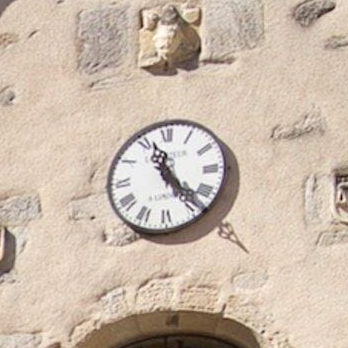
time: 11:23
